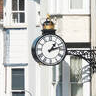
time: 1:12
